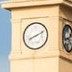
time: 8:11
